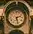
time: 2:27
